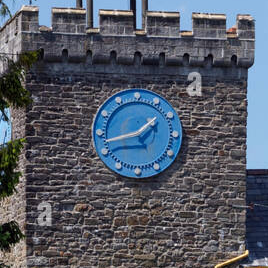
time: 1:42
